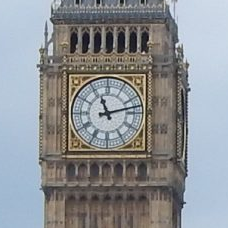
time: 11:12
